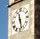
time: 11:28
